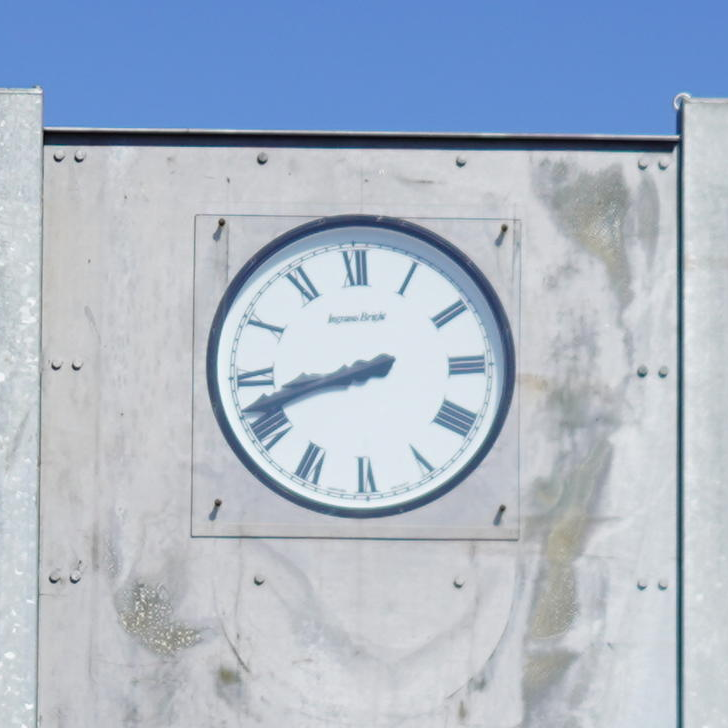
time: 8:42
